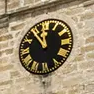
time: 11:53
